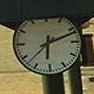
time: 6:11
